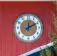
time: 12:10
